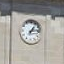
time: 1:13
